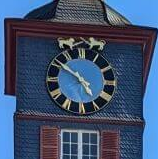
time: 4:50
